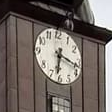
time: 6:17
